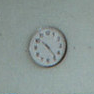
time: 10:23
